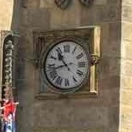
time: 10:42
